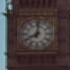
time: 8:01
